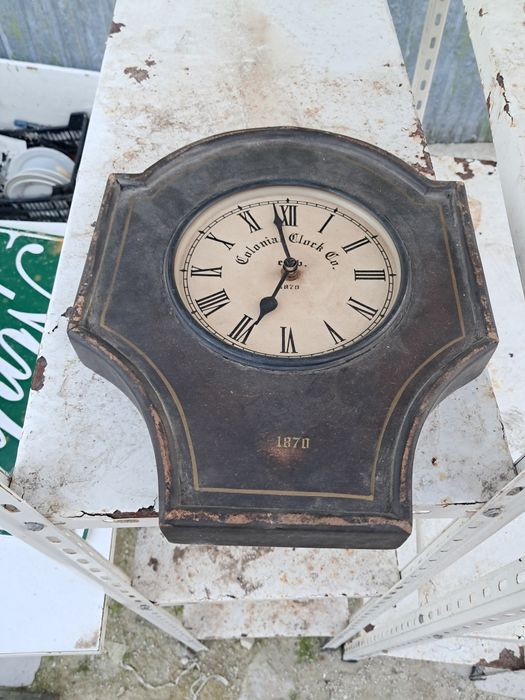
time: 6:58
